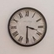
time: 3:30
